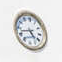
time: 4:42
